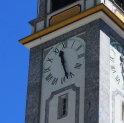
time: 11:27
